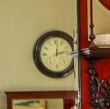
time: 12:12
